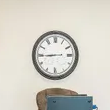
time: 8:44
